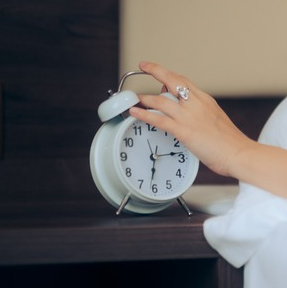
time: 6:13
